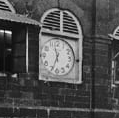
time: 11:33
